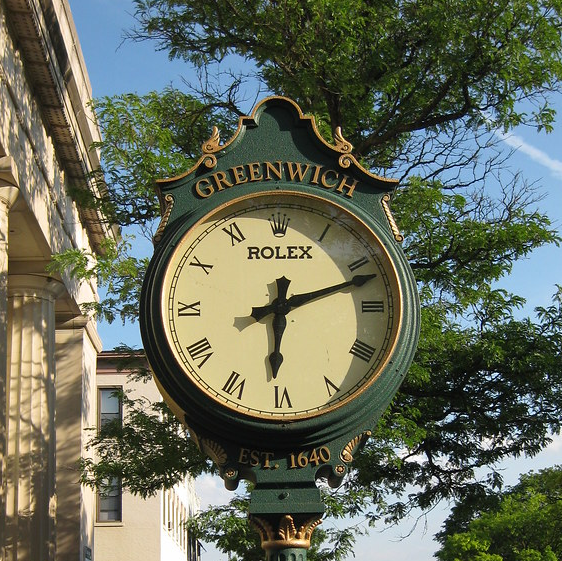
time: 6:11
